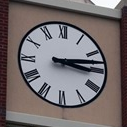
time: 3:12
